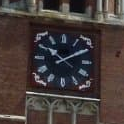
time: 10:09
